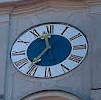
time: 11:36
